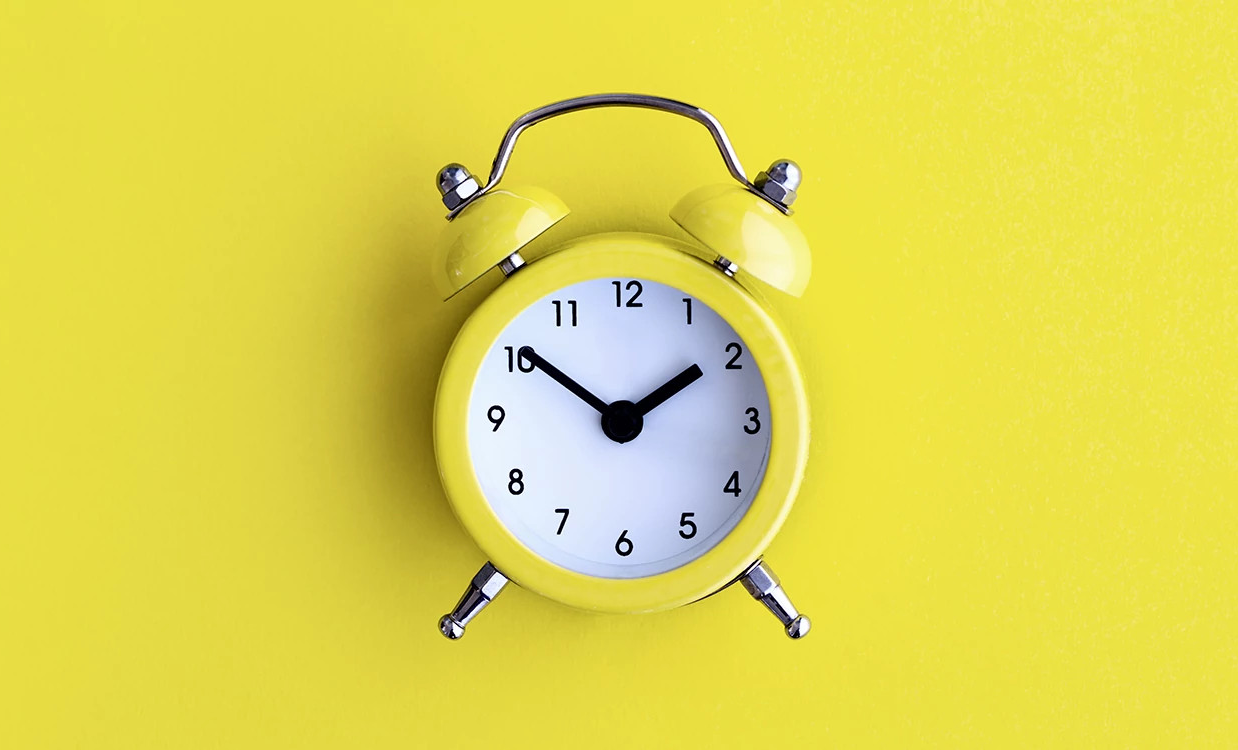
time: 1:51
